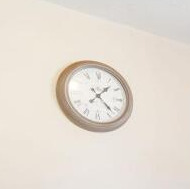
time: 1:22
